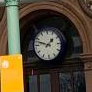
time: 1:47
